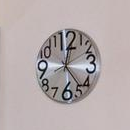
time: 12:23
